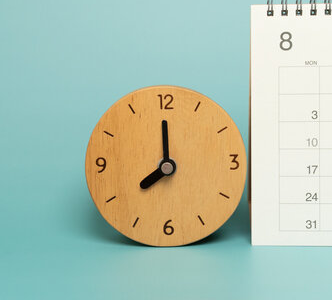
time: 7:59
